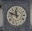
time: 11:48
